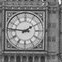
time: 1:46
